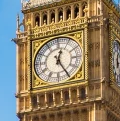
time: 12:24
